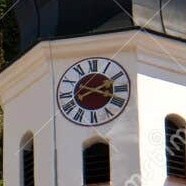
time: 2:18
